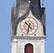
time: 10:32
